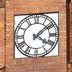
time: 4:08
